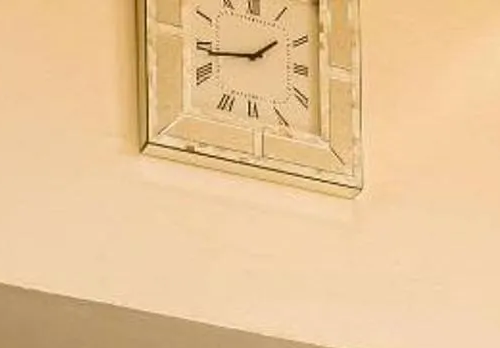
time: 1:43
